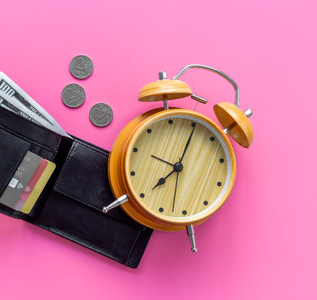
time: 8:05
